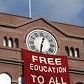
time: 12:31
